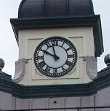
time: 9:57
